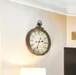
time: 2:32
